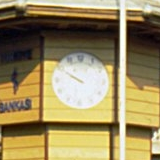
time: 9:50
